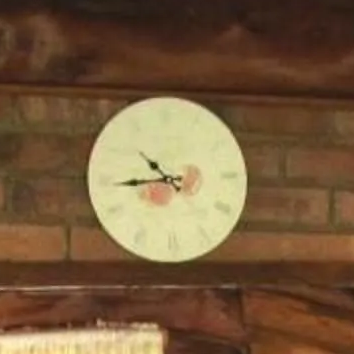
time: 10:44
